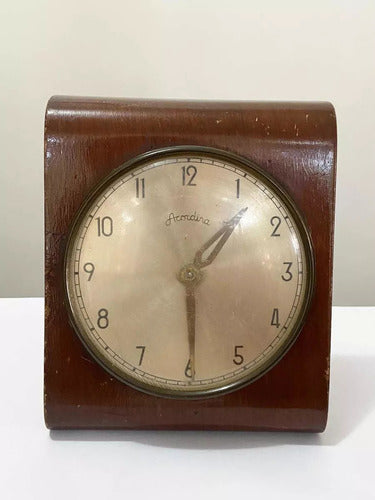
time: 1:29
